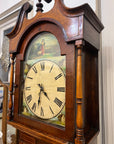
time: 4:31
